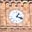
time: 1:18
